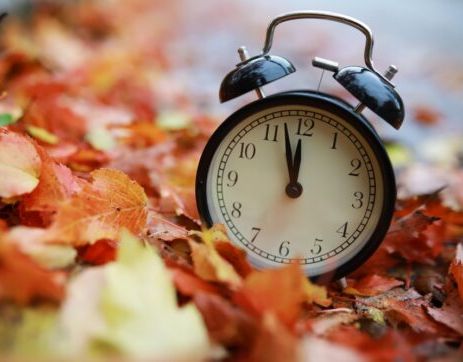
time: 11:57
